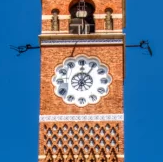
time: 12:05
